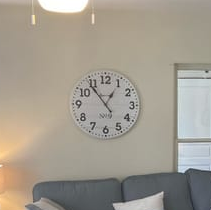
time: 12:53
